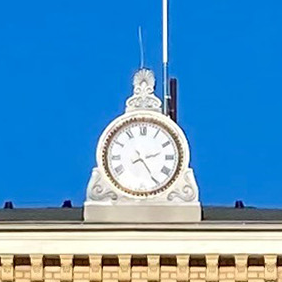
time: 2:24
